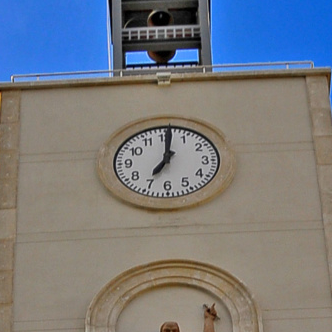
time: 7:01
